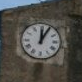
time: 12:04
